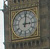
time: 3:01
